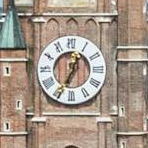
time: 12:34
